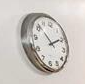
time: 1:51
